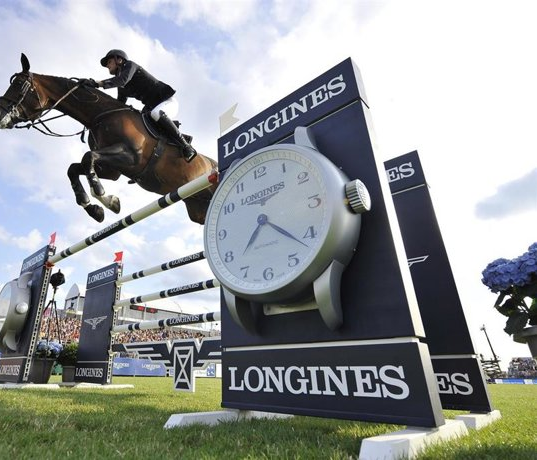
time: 7:22
